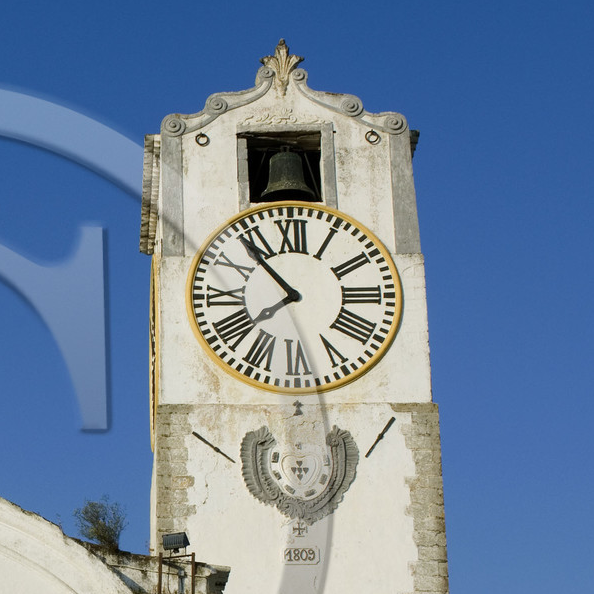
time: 7:53
